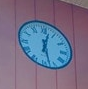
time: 12:27
